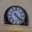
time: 4:22
